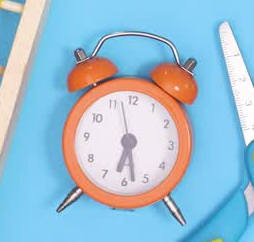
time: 6:28
